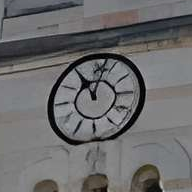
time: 11:02
